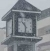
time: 10:28
